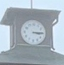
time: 3:14
